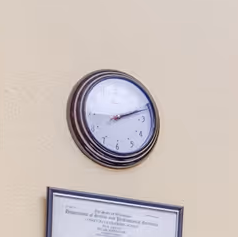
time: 2:11
